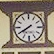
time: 7:39
